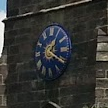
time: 1:20
